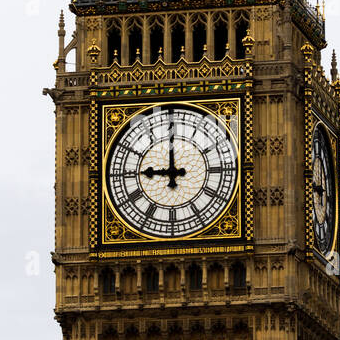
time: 8:59
